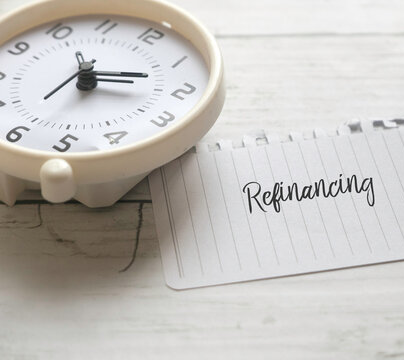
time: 7:17
